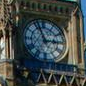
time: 2:56
